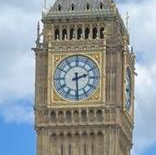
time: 2:29
